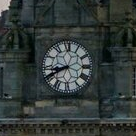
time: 8:40
